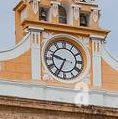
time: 9:34
